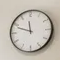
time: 11:48
